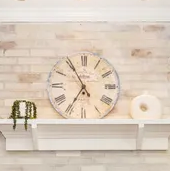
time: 6:55
